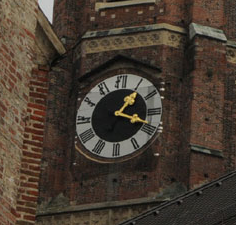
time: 1:18
